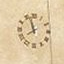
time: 7:57
